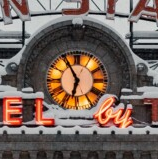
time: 6:55
